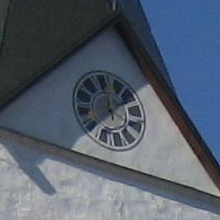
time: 12:07
